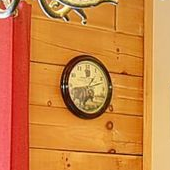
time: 1:12
